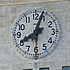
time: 8:03
